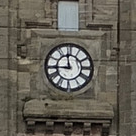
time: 11:44
